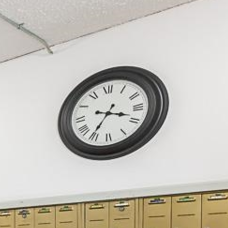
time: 3:35
